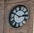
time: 2:50
